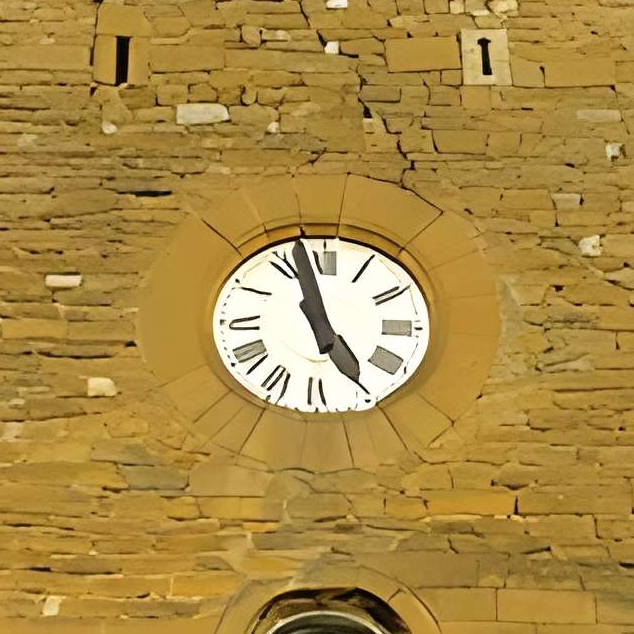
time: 4:57
